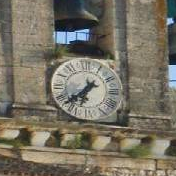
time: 6:38
